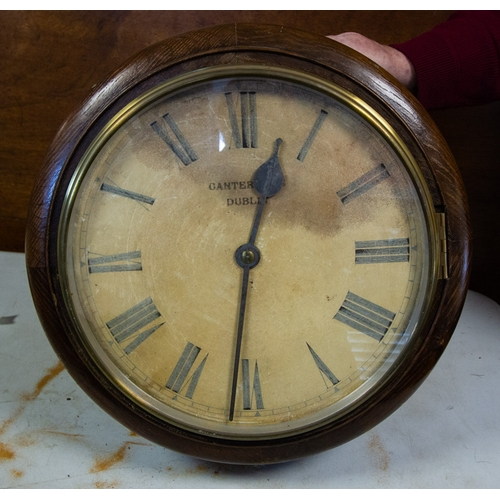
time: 12:31
